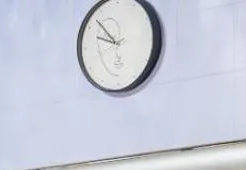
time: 9:52
